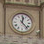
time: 12:23
